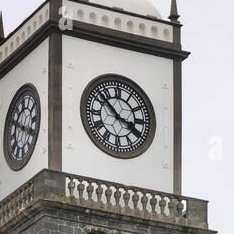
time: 3:52
